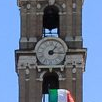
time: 1:16
